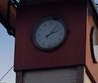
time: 2:06
